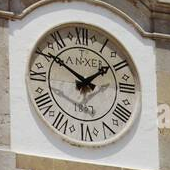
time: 1:50
